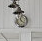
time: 11:21
